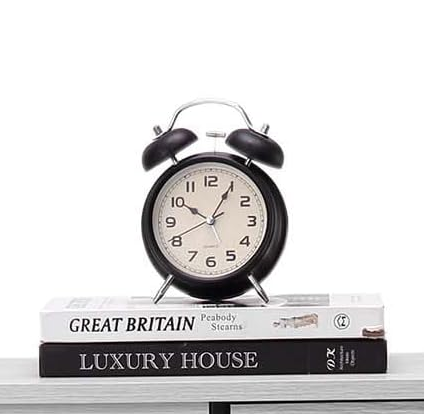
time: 10:05
